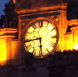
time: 5:43
